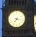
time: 7:17
